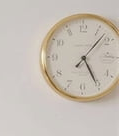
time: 5:07
